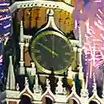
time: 10:00
